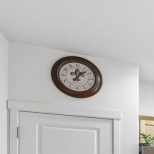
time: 12:07
